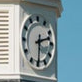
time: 2:30
